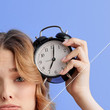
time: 7:01
